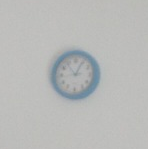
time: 12:53
